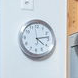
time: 4:13
